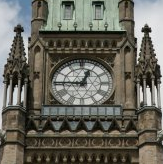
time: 12:45
